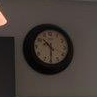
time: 10:30
